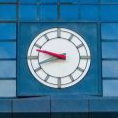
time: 9:42
